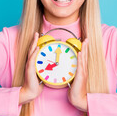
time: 8:00
